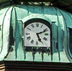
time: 5:11
